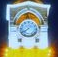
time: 7:38
